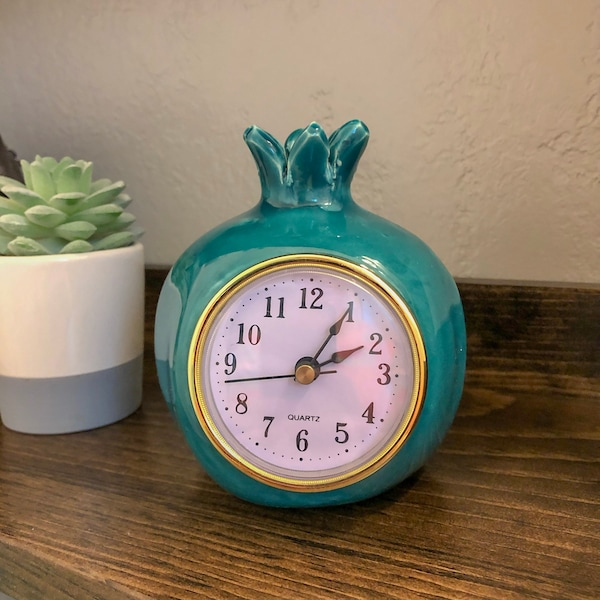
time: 2:04
